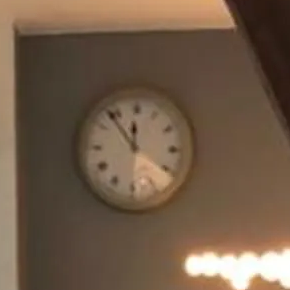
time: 11:53
